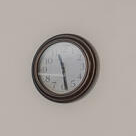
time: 11:28
